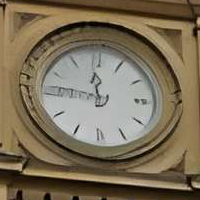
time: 11:46
